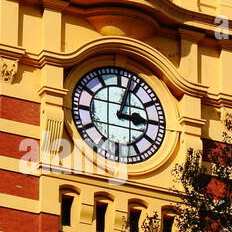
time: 3:02
